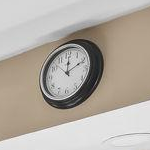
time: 12:11
